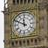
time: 11:49
